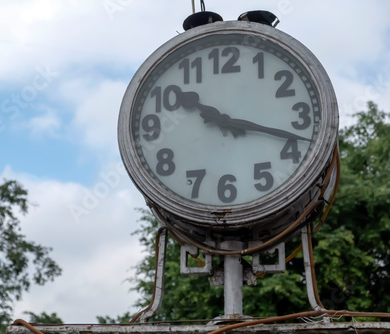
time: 10:18
